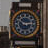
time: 2:50
